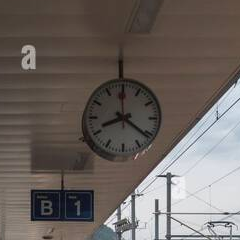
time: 8:21
